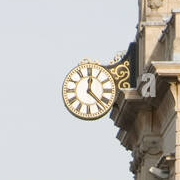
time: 12:22
